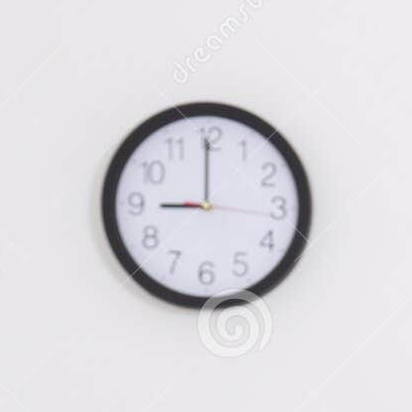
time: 9:00
